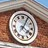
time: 4:04
